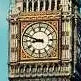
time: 8:48
